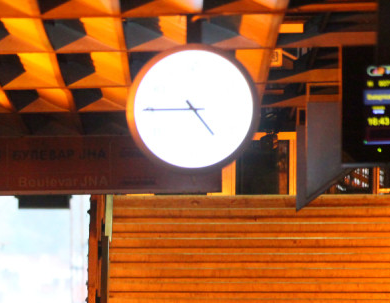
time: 4:45
